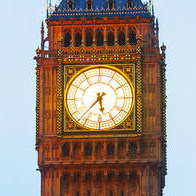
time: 5:37
